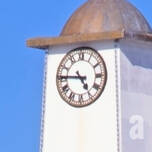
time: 4:45
